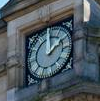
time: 2:00
